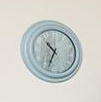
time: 10:34
